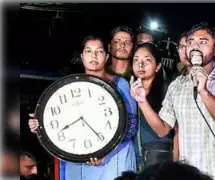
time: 8:25
